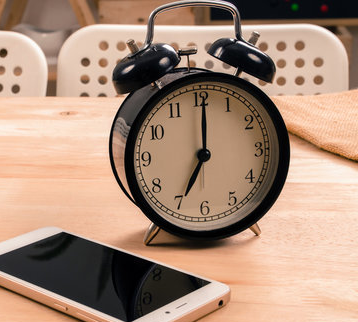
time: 7:00
